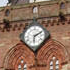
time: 6:10
